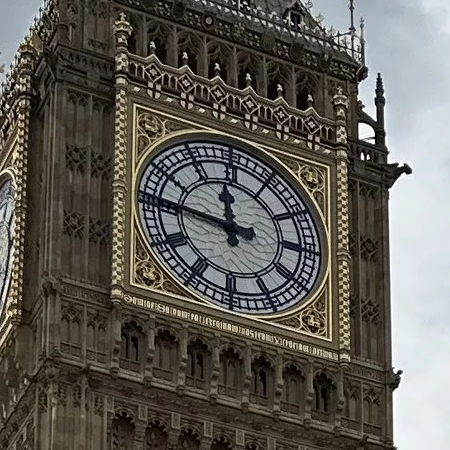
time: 11:45
